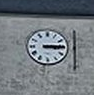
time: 3:14
